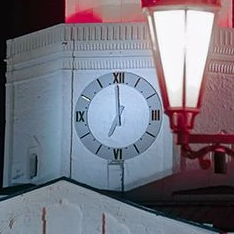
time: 6:59
